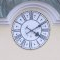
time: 4:09
